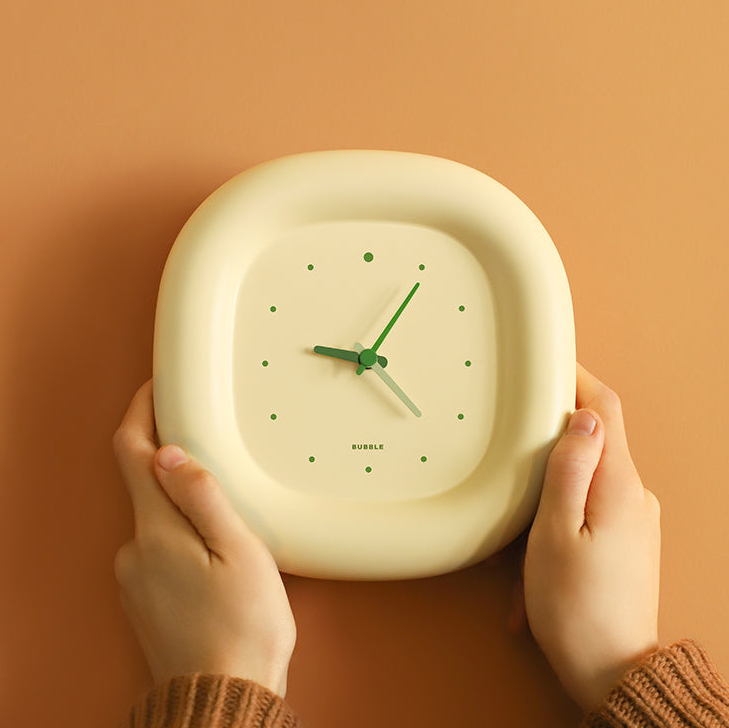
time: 9:05
